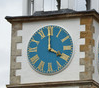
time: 3:59
